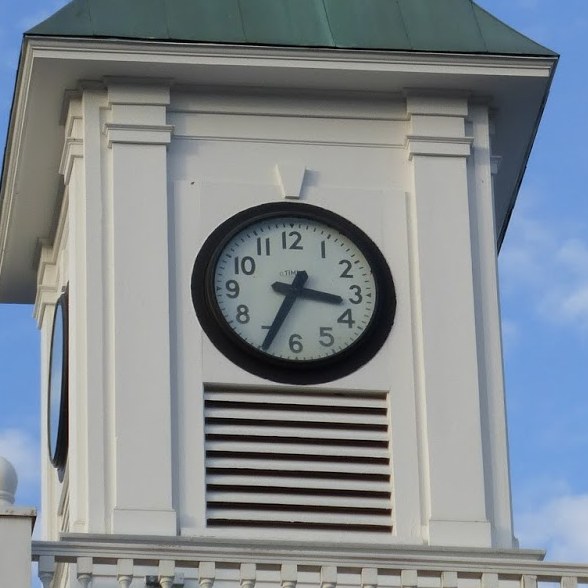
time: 3:34
